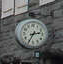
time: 2:35
